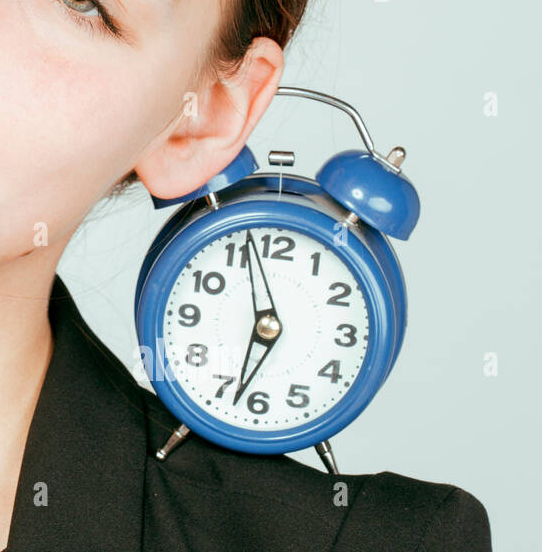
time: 11:32
